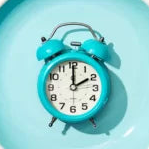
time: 2:00
